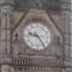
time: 9:24
